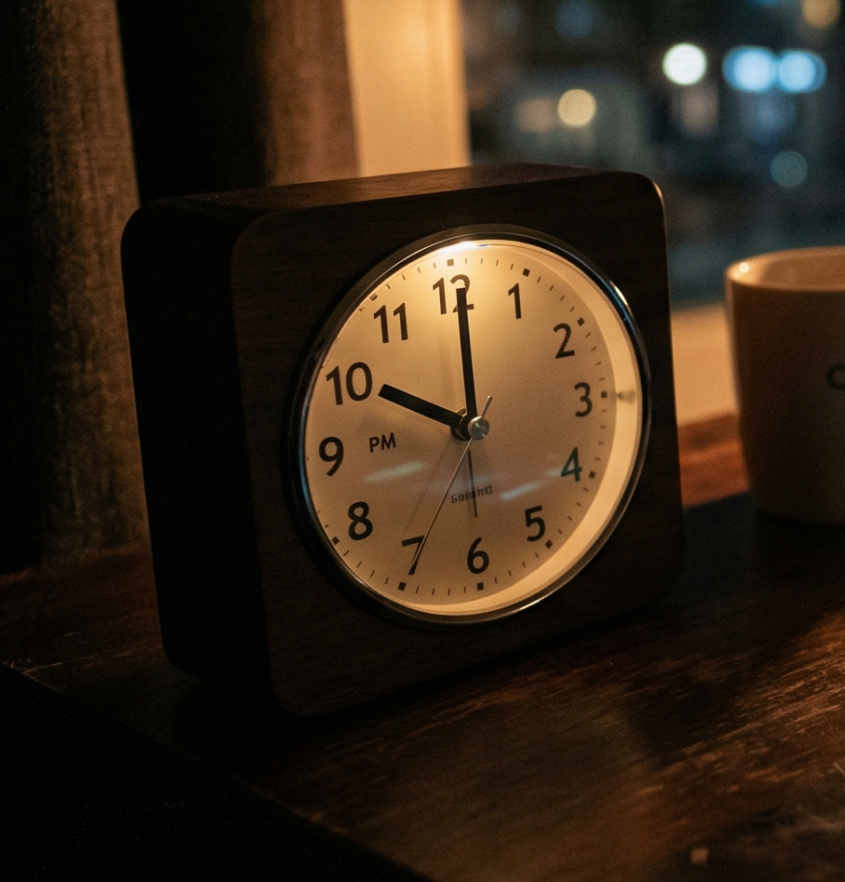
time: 10:00
